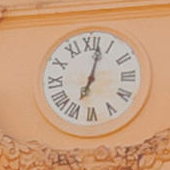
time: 7:02
